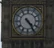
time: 4:24
